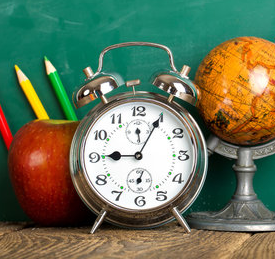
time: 9:04
